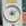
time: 4:10
